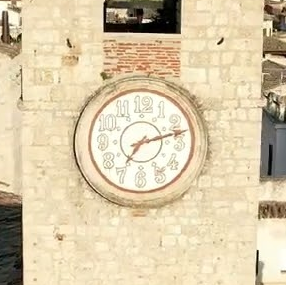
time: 7:12
